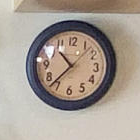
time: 10:37
